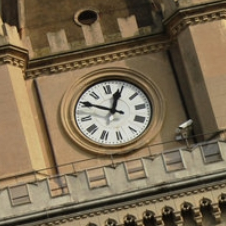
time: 12:50
